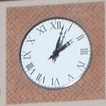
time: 2:02
